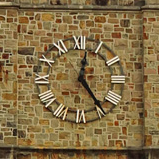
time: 12:24
